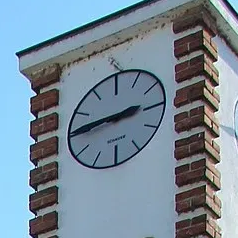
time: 2:44
